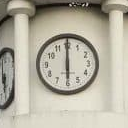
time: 6:00
